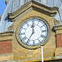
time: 11:35
